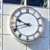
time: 9:42
